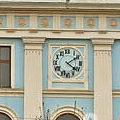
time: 4:09
